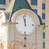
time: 11:57
